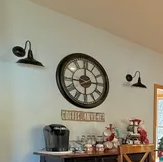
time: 11:44
